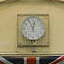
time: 11:55
